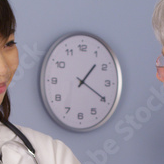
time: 1:19
